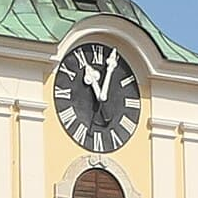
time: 11:03
